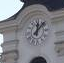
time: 12:07
